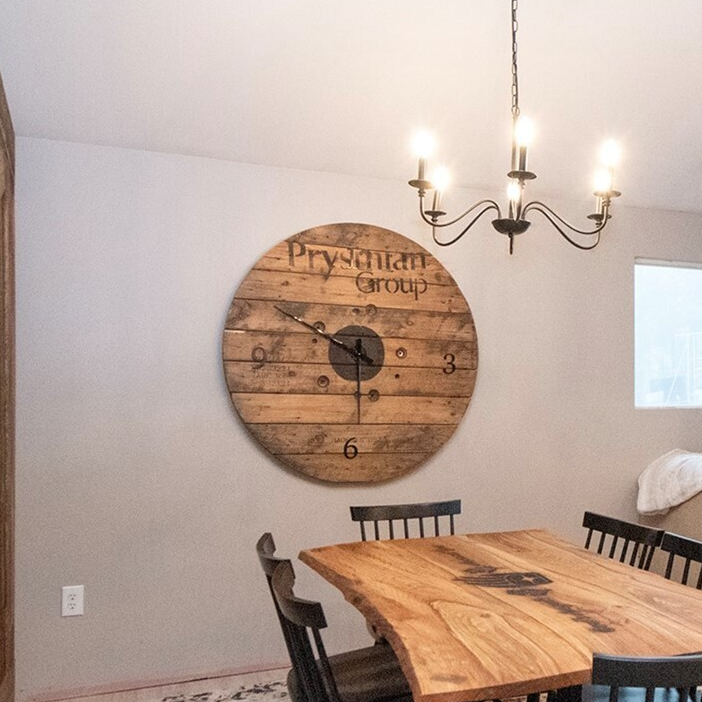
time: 5:49
